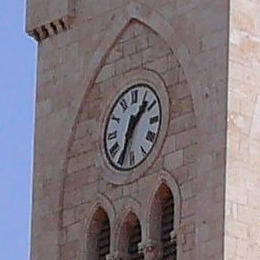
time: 1:33
